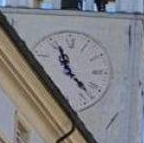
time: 11:22
